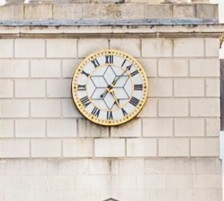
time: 5:07
